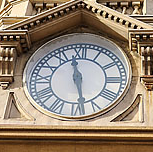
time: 11:28
